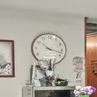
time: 10:17
